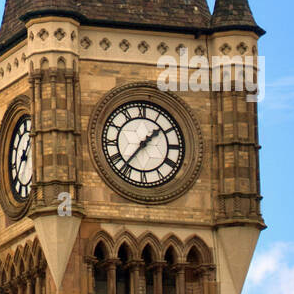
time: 1:36
